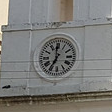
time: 6:59
